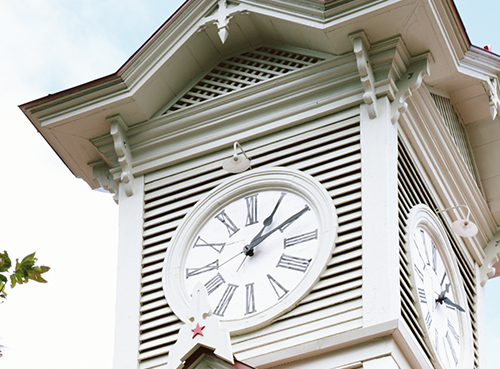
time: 1:10
